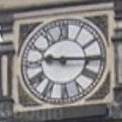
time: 9:15
